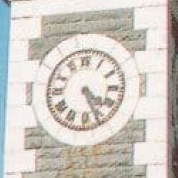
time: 4:25
